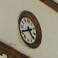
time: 4:40
